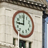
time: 9:00
